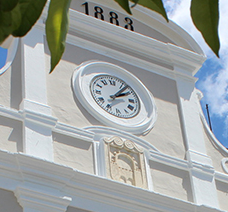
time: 2:07
